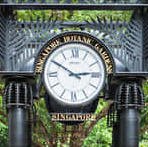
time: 2:50
